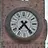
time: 7:23
